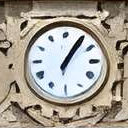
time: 1:06
